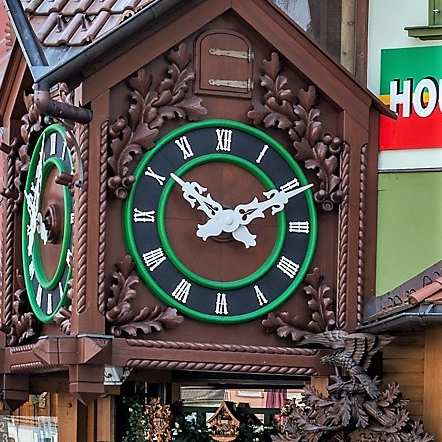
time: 10:10
